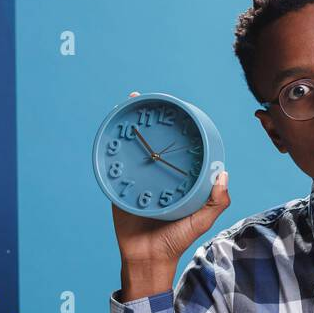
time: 10:17
